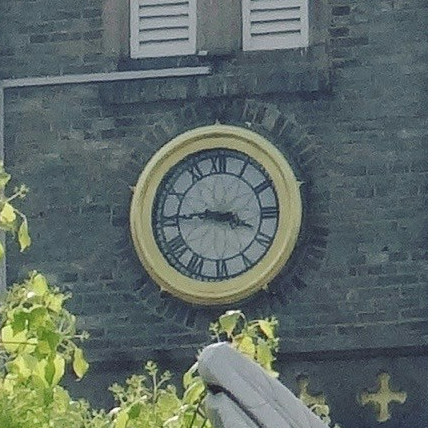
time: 3:44
